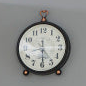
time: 8:29
